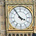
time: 3:54
